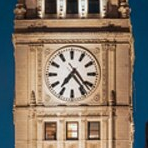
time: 7:23
